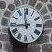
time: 11:43
